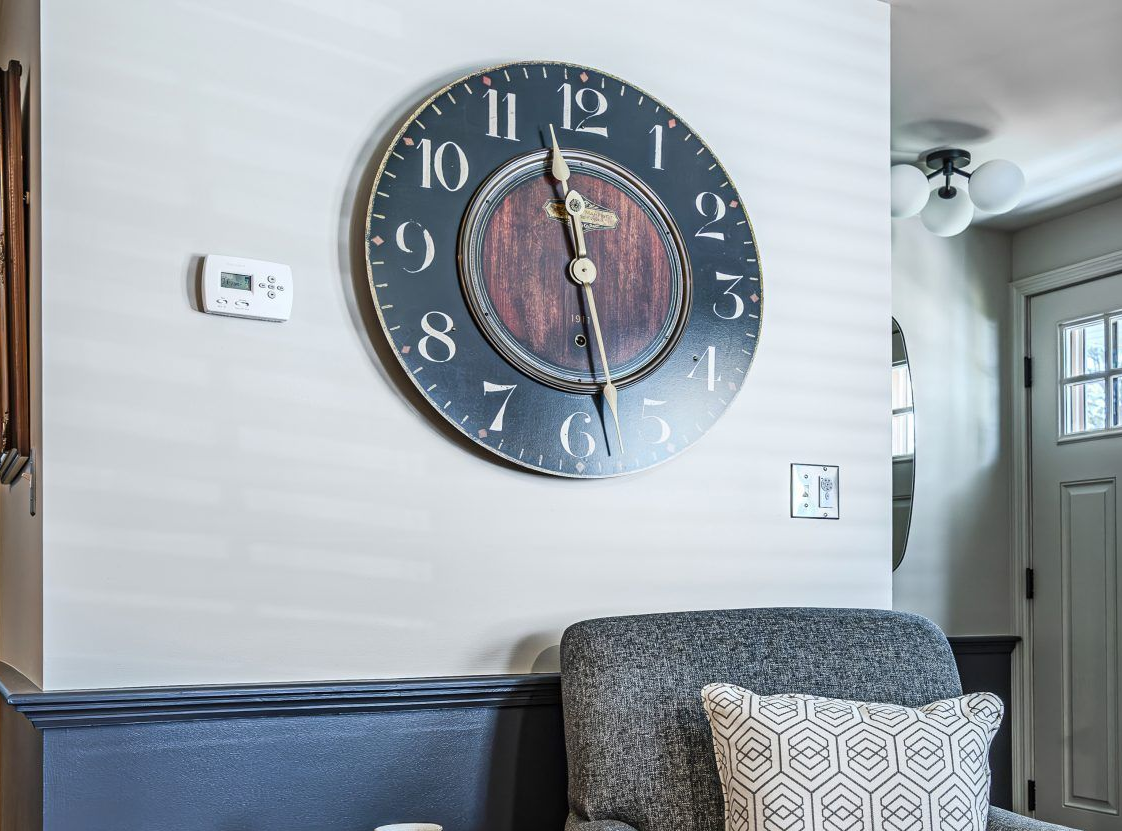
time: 11:28
